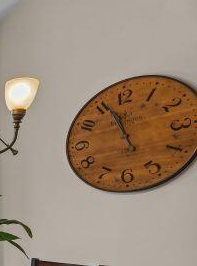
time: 11:56
